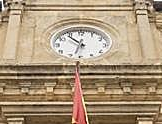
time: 10:32
